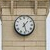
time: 1:27
